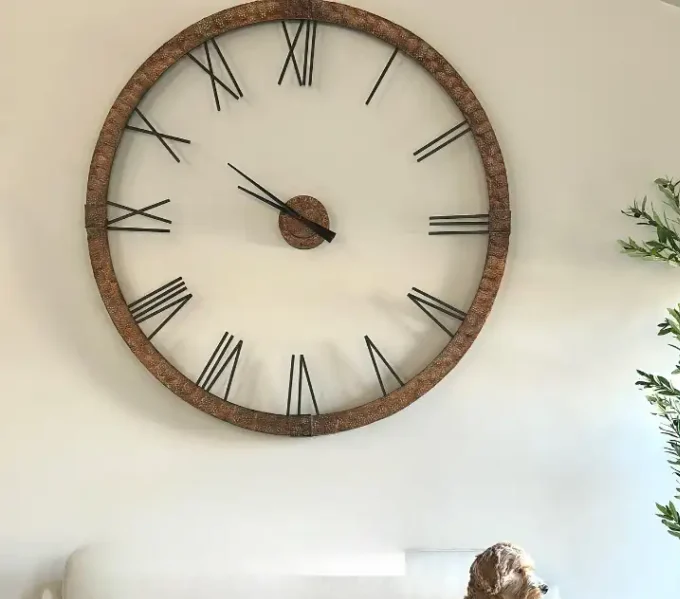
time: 9:50
